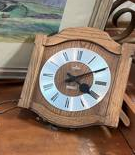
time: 4:10
